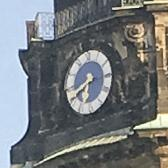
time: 6:40
